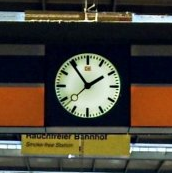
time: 1:54
